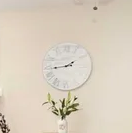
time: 1:43
